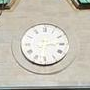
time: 3:12
